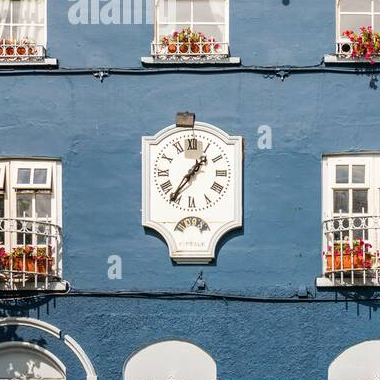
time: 1:36
